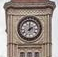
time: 1:59
